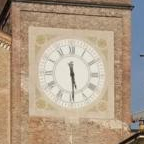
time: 5:29
